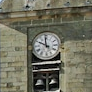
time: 11:49
